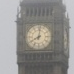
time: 8:01
